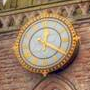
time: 12:19
